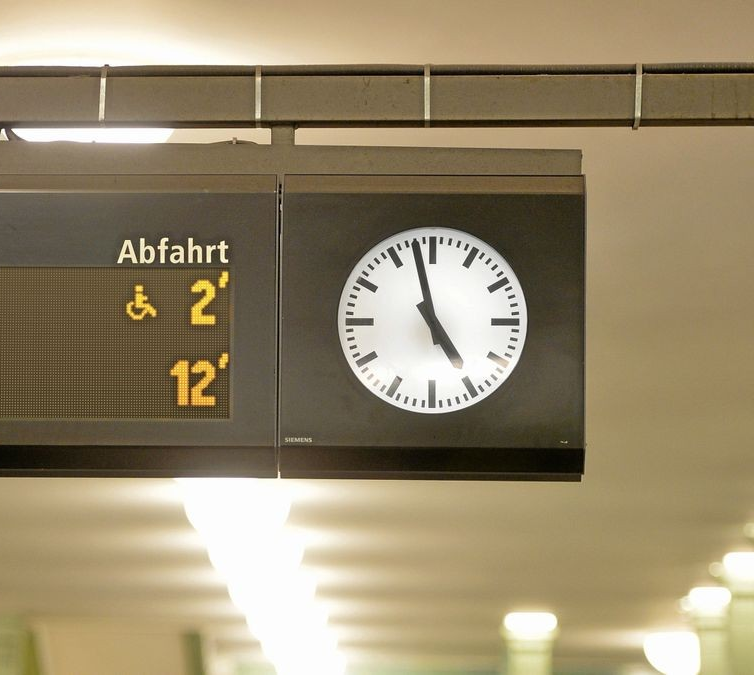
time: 4:57
